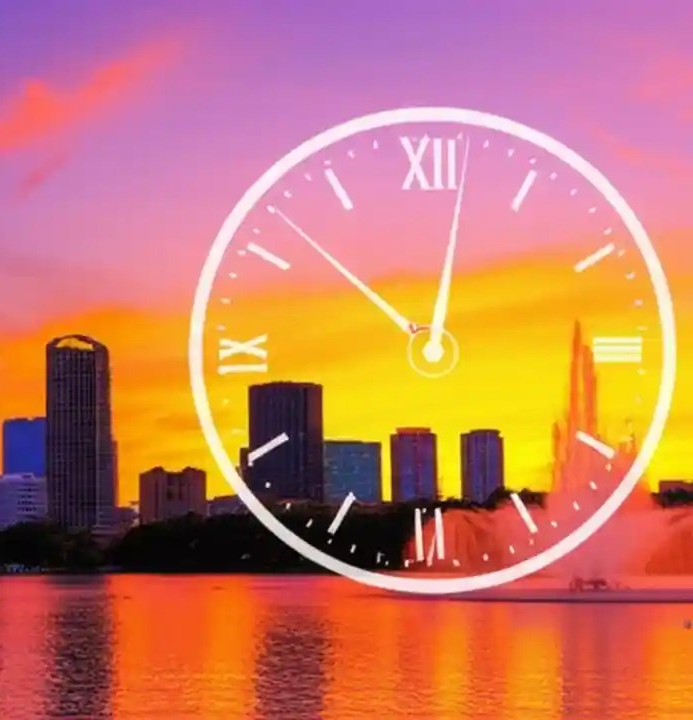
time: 10:02
